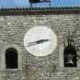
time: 2:42
